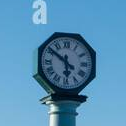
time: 5:51
